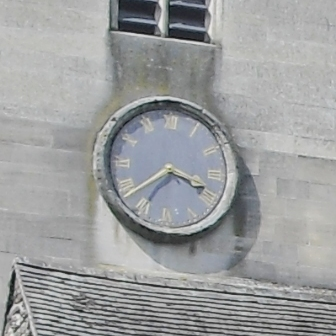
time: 3:38
